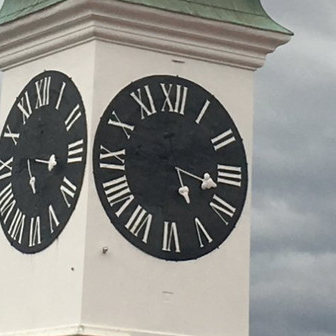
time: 5:17
